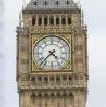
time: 4:37
